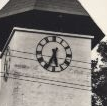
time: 5:34
